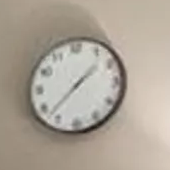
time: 1:37
